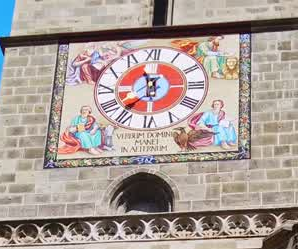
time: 11:36
